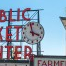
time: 3:58
